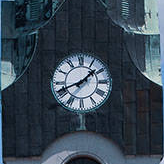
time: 1:41
